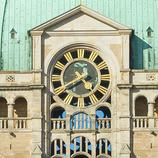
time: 4:40
